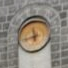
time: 11:42
